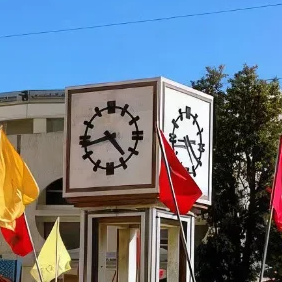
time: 4:42
